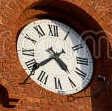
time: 4:38
